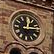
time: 12:14
